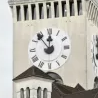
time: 11:53
